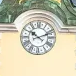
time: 10:11
